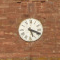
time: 5:18
